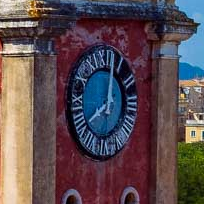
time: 8:02
